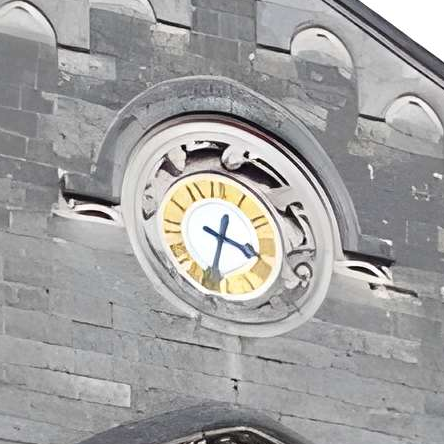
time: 3:33
